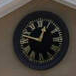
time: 12:47
